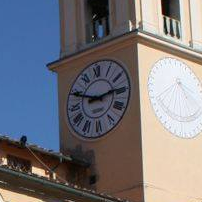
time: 2:49
